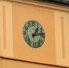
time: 1:13
